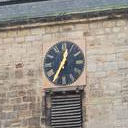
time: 12:34
